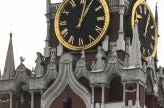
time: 1:02
